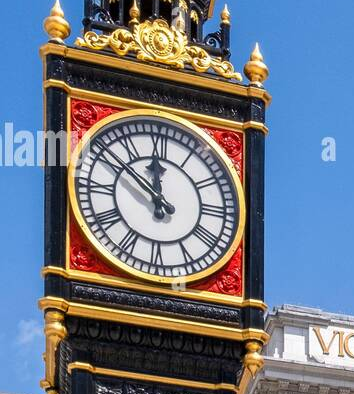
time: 11:51
